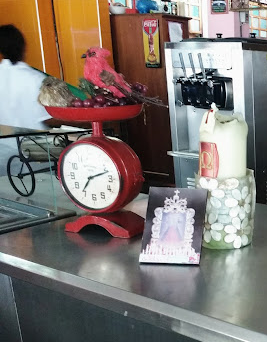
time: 7:11
